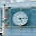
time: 5:14
